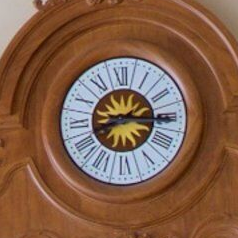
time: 8:15
